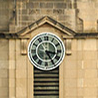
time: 3:24
